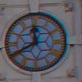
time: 11:40
